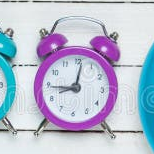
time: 9:01
